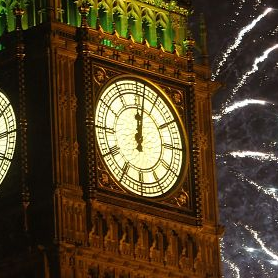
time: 12:01
